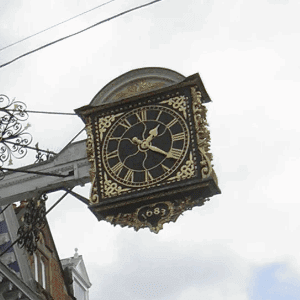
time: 1:21
